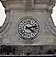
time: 4:12
